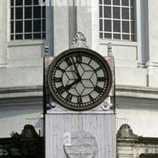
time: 7:56
